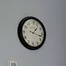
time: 1:17
